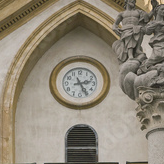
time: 2:25
